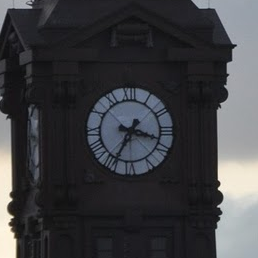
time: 3:34
